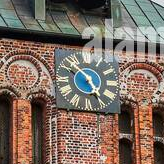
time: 4:52
